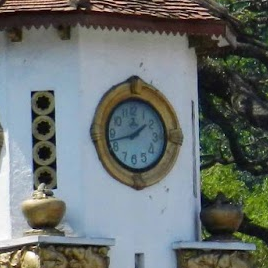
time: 1:42
